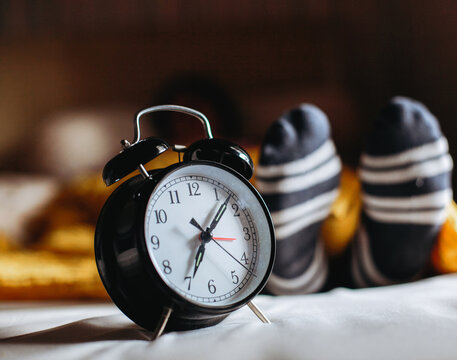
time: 7:07
